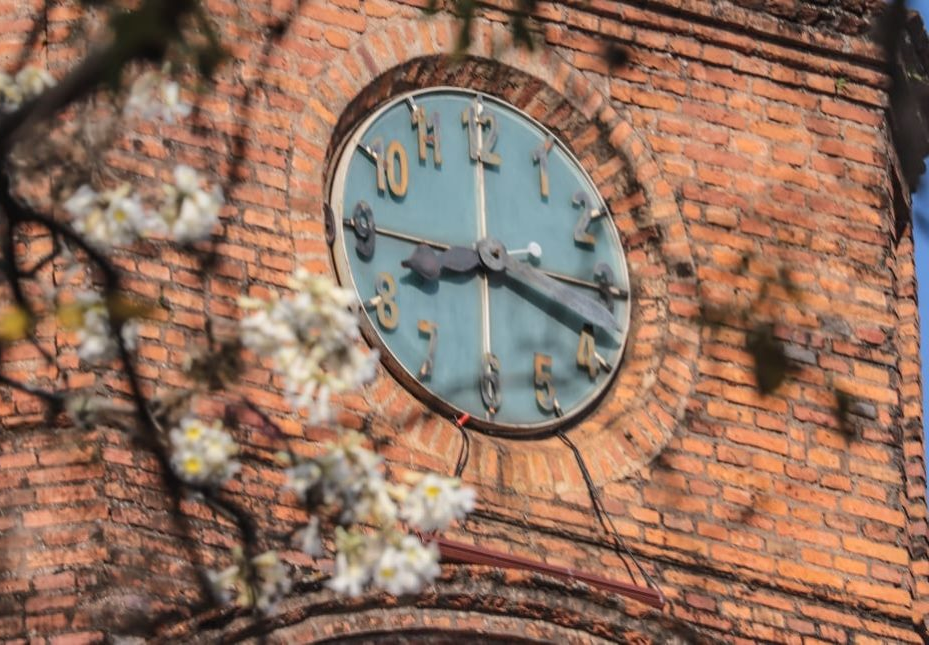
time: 8:18
